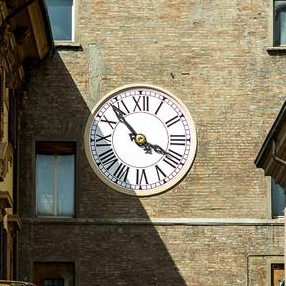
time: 3:53
